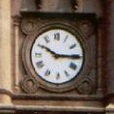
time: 10:15
